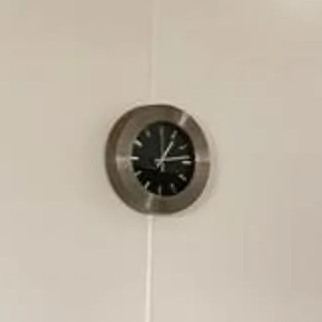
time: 12:13
